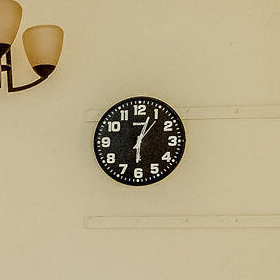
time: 6:03
